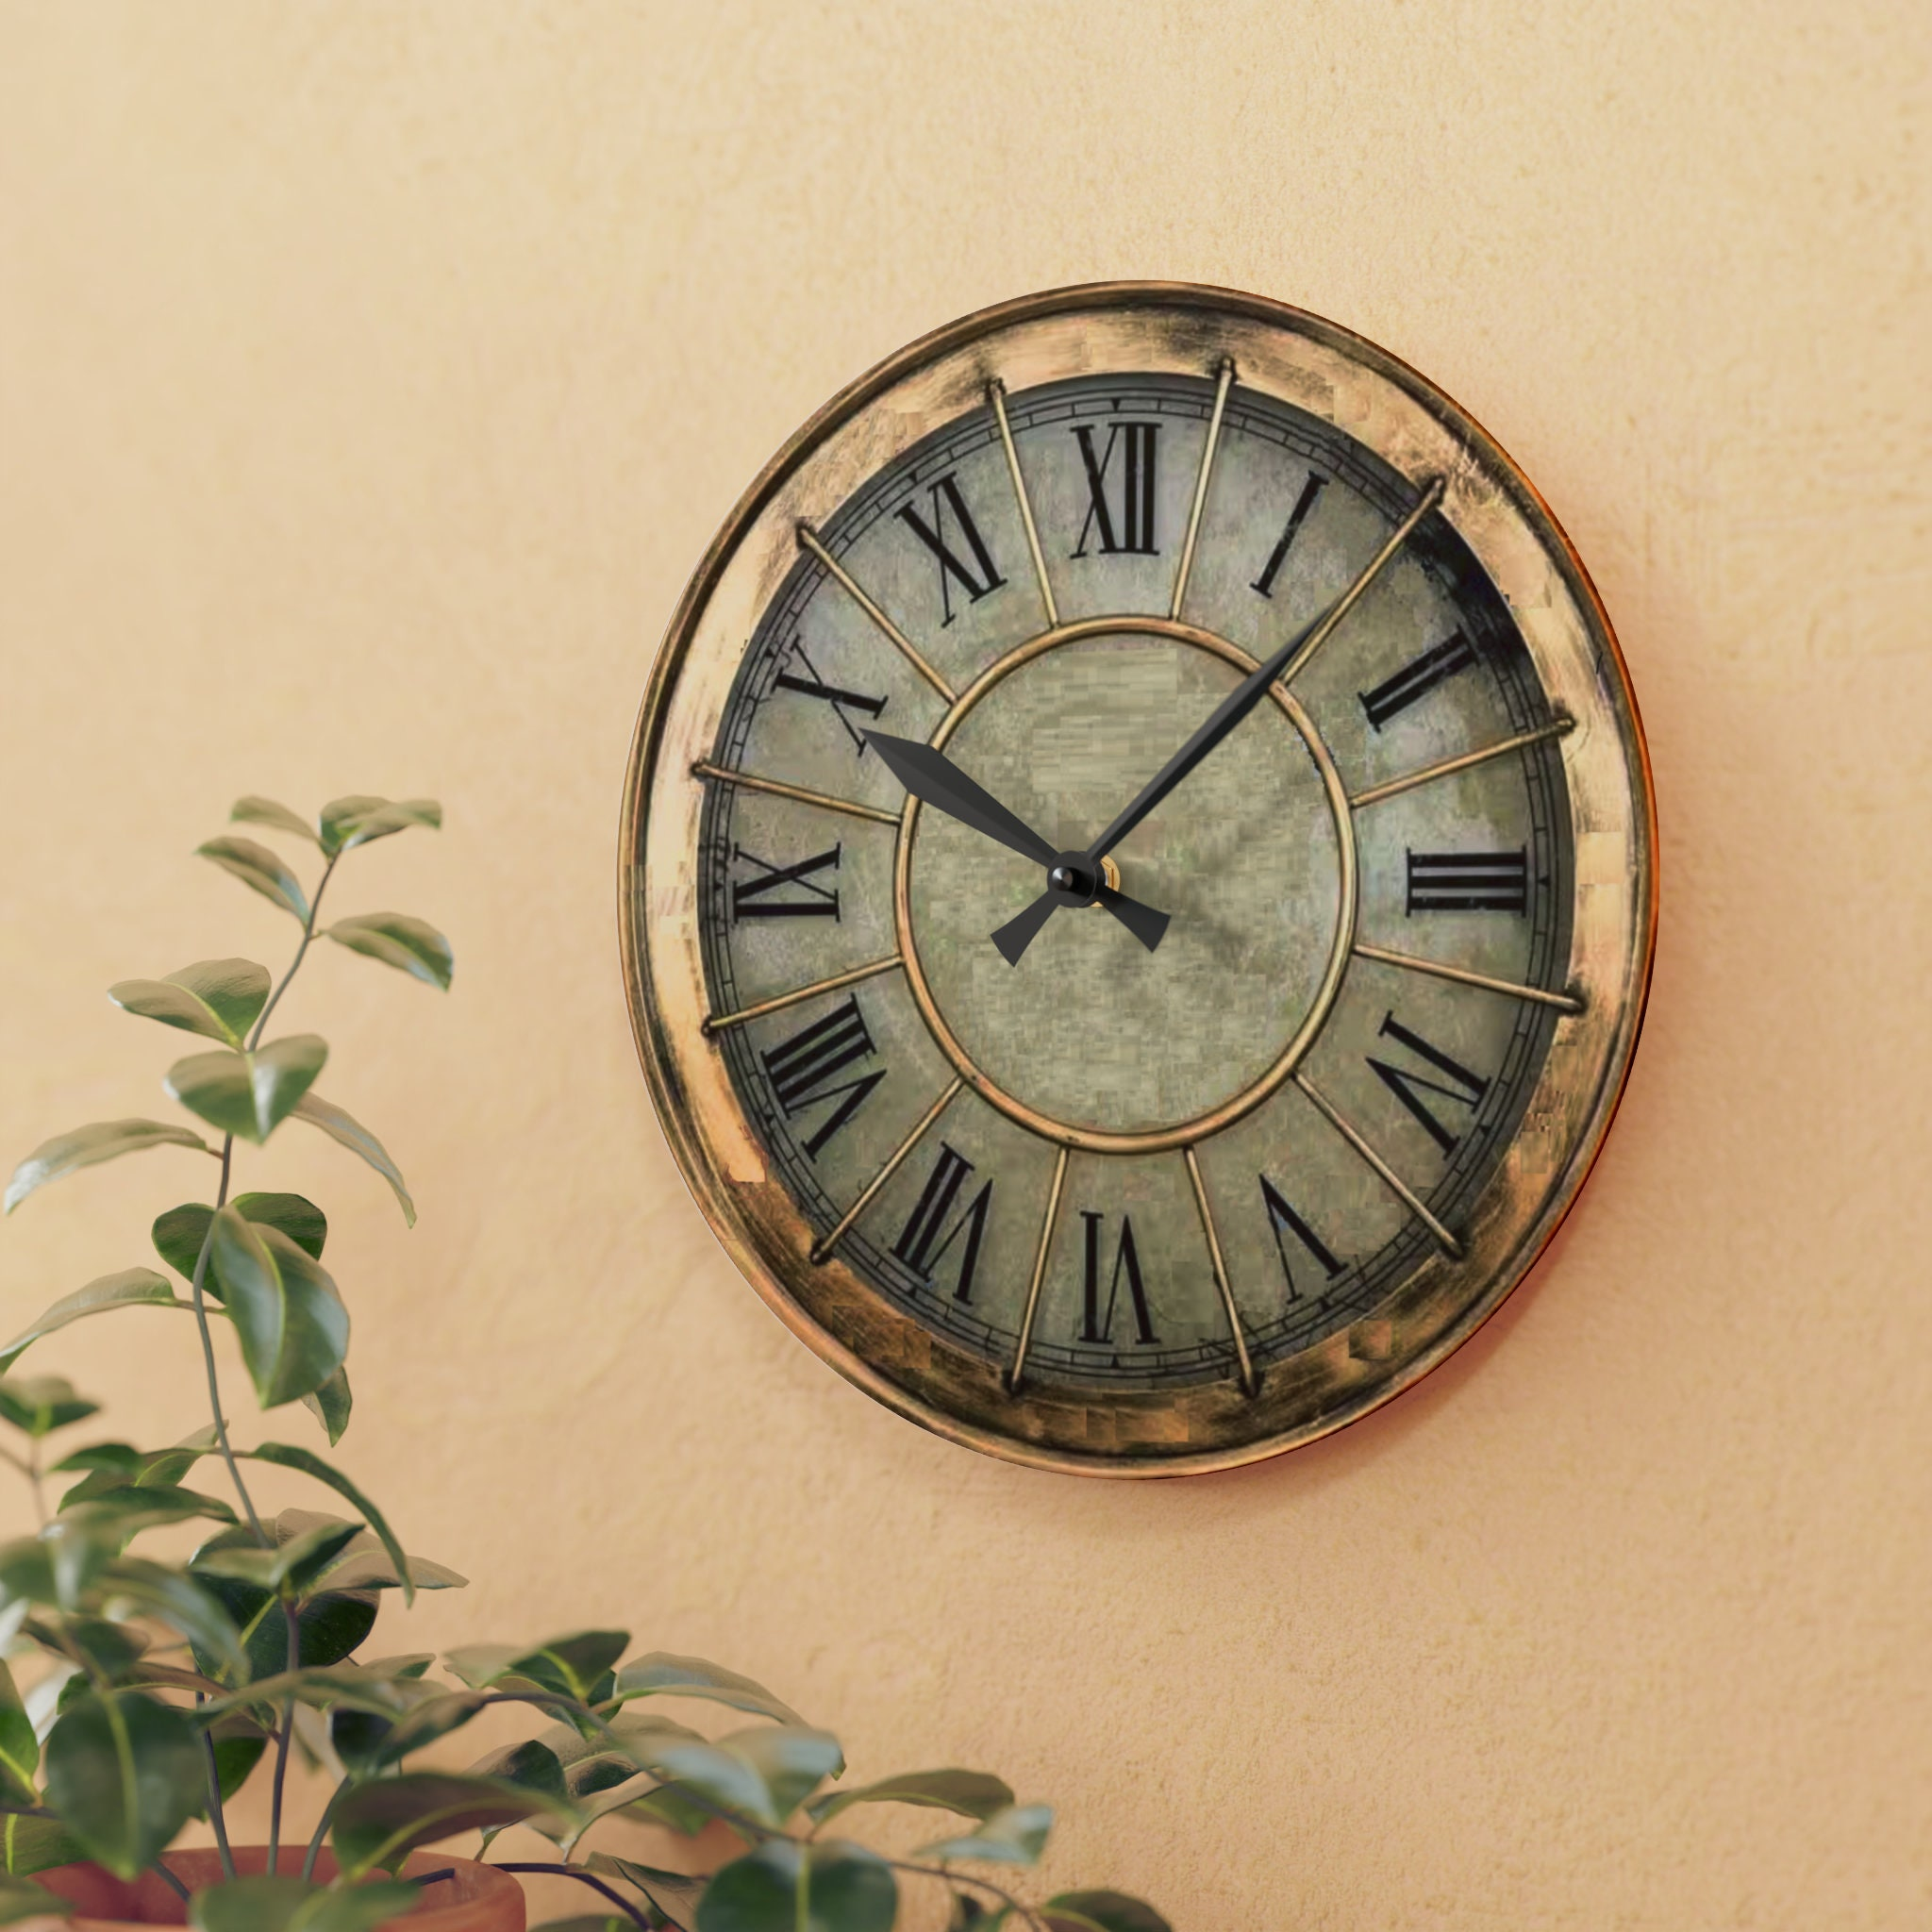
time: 10:07
